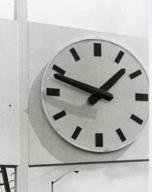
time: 1:48
